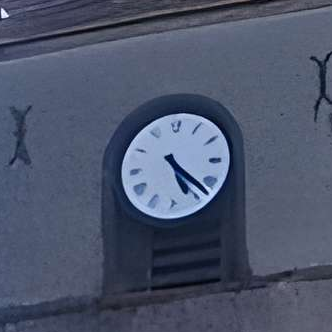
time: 5:22
